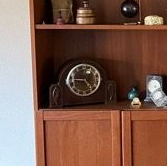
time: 4:44
